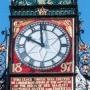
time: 9:58
